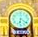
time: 6:21
